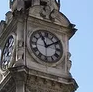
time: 11:09
